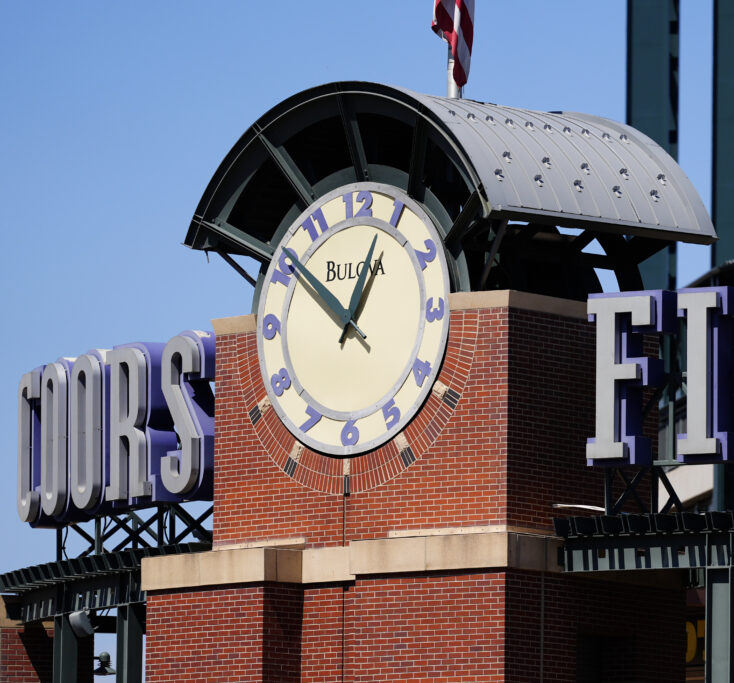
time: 12:51
